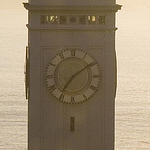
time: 7:09
